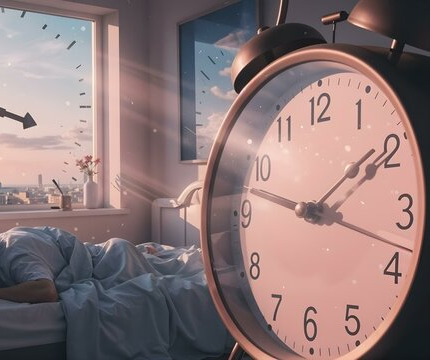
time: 1:47
